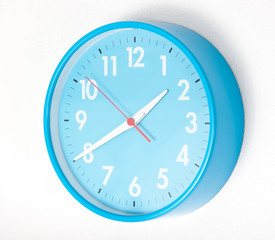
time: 1:39
